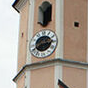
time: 2:40
